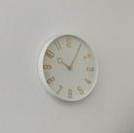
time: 10:05
